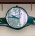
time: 9:45
